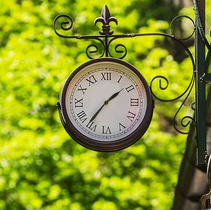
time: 1:36
